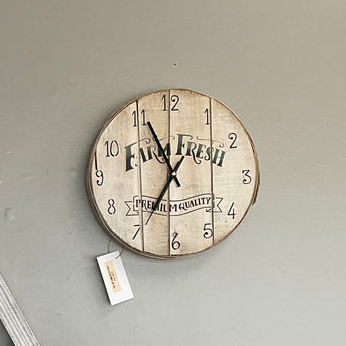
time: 6:54
